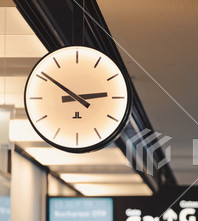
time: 2:50
